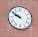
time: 9:50
